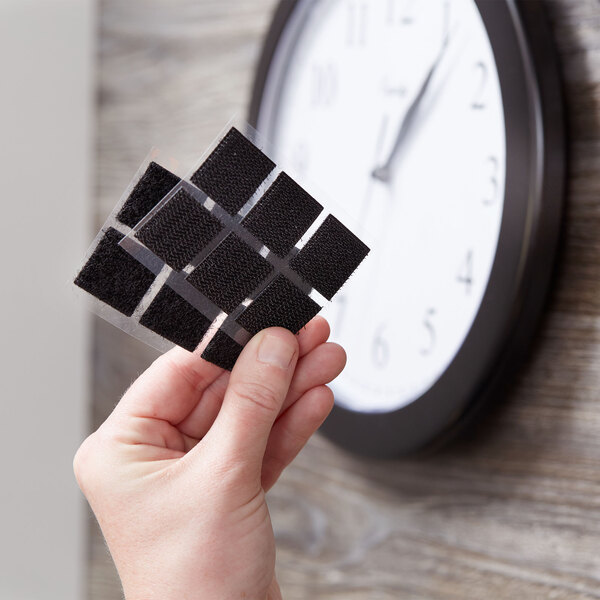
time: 1:06
